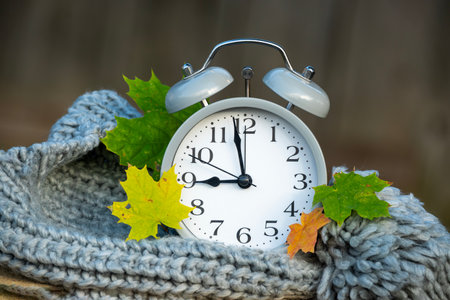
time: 8:58
